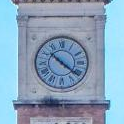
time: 10:21
